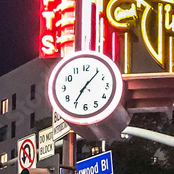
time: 7:06
